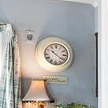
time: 10:20
